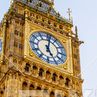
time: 5:01
